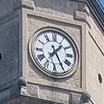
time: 1:25
